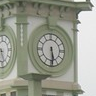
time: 5:29
